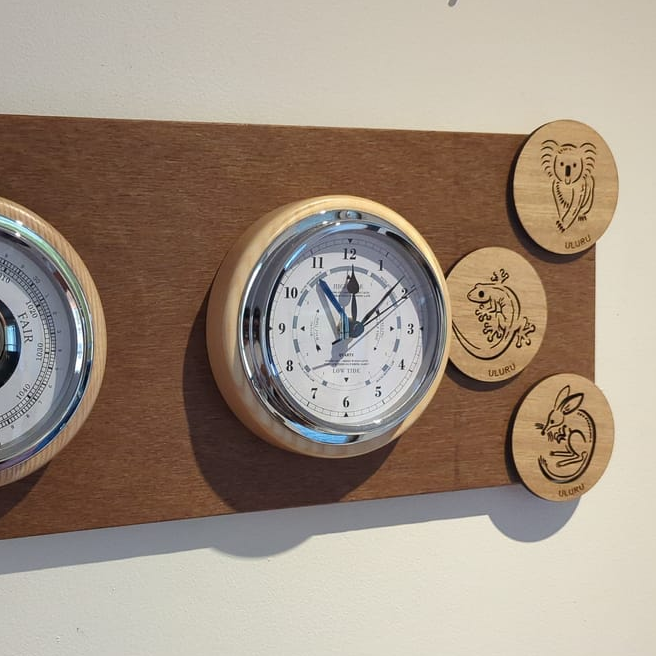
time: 12:08
